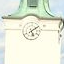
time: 5:09
